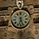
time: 6:26
